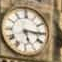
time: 5:15
